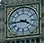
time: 3:43
